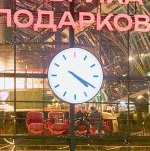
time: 4:20
